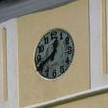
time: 12:40
